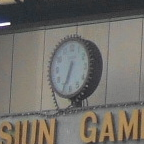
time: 6:33
